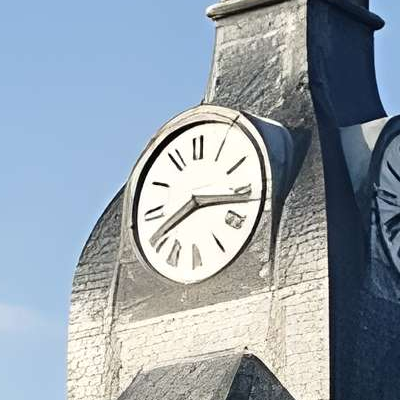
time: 8:16
